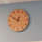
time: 12:49
